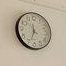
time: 11:33
